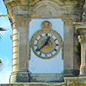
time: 12:38
